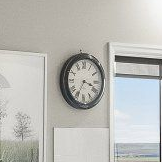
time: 3:34
